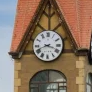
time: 3:41
